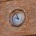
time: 8:57
